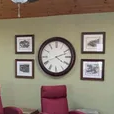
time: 4:11
